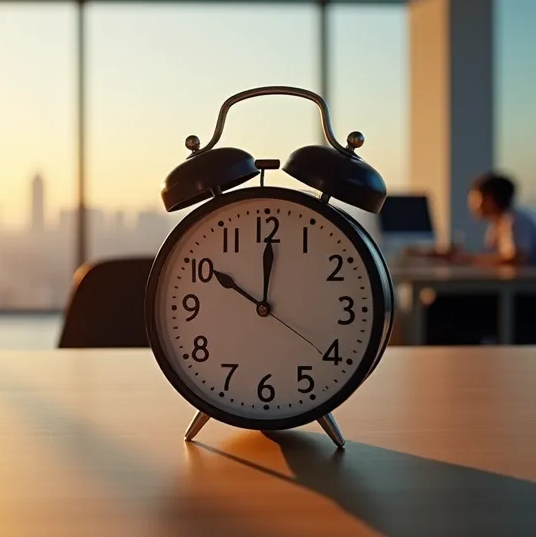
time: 10:00
